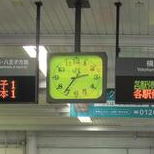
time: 2:36
